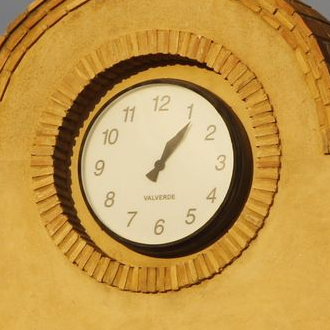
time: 1:06
